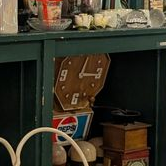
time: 3:02
